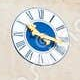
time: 10:17
